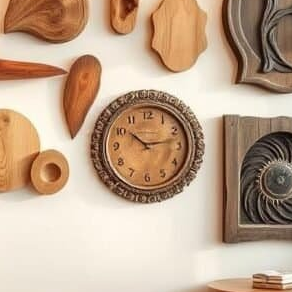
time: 10:13
